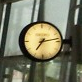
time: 7:13
